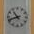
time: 10:41
